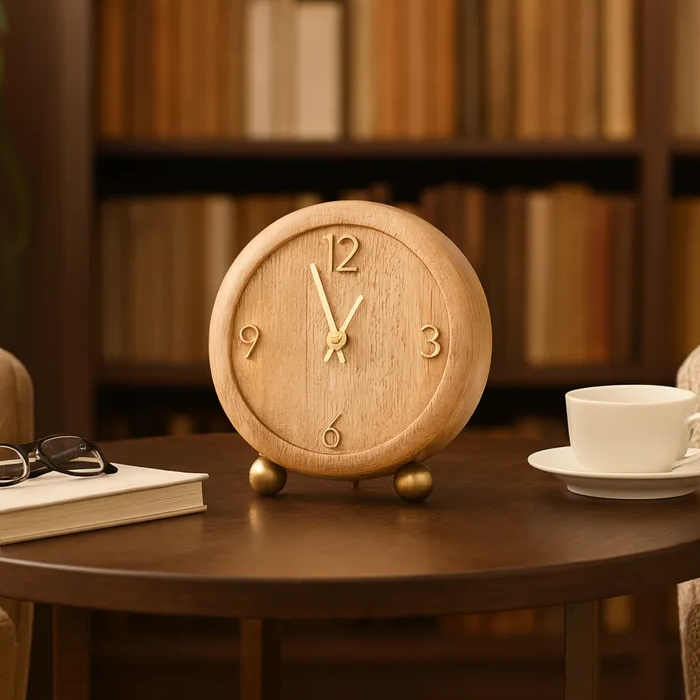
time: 12:55
